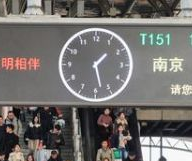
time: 1:28
